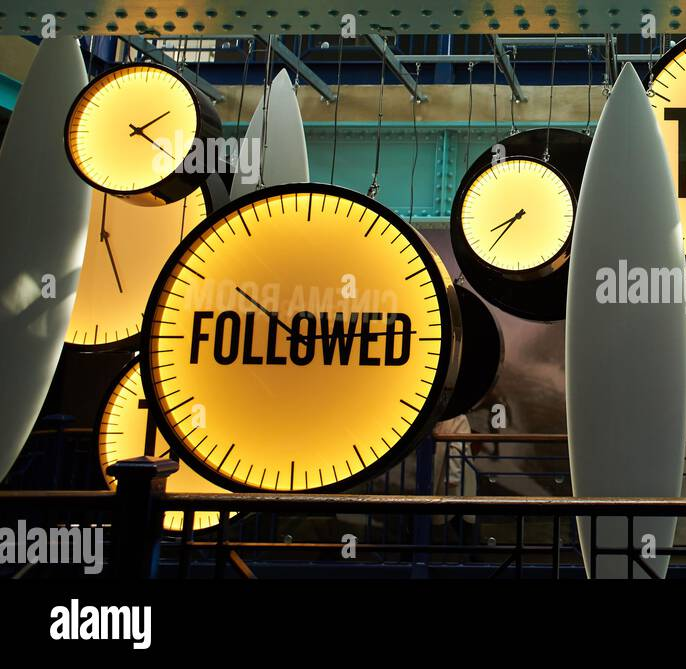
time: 2:50
